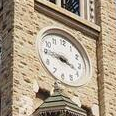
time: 3:44
